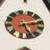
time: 5:12
